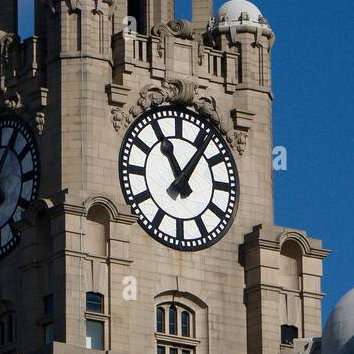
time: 11:06
